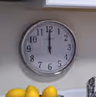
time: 12:00
